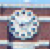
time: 3:12
